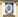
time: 12:37
